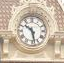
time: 10:28
